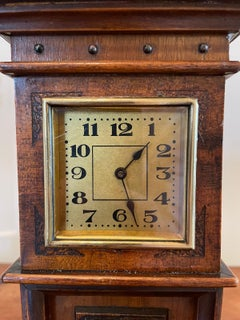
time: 1:26
